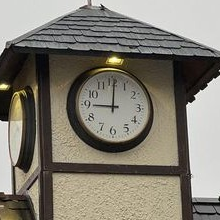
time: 9:00
